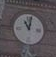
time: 11:02
